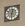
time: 12:30
